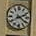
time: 2:21
